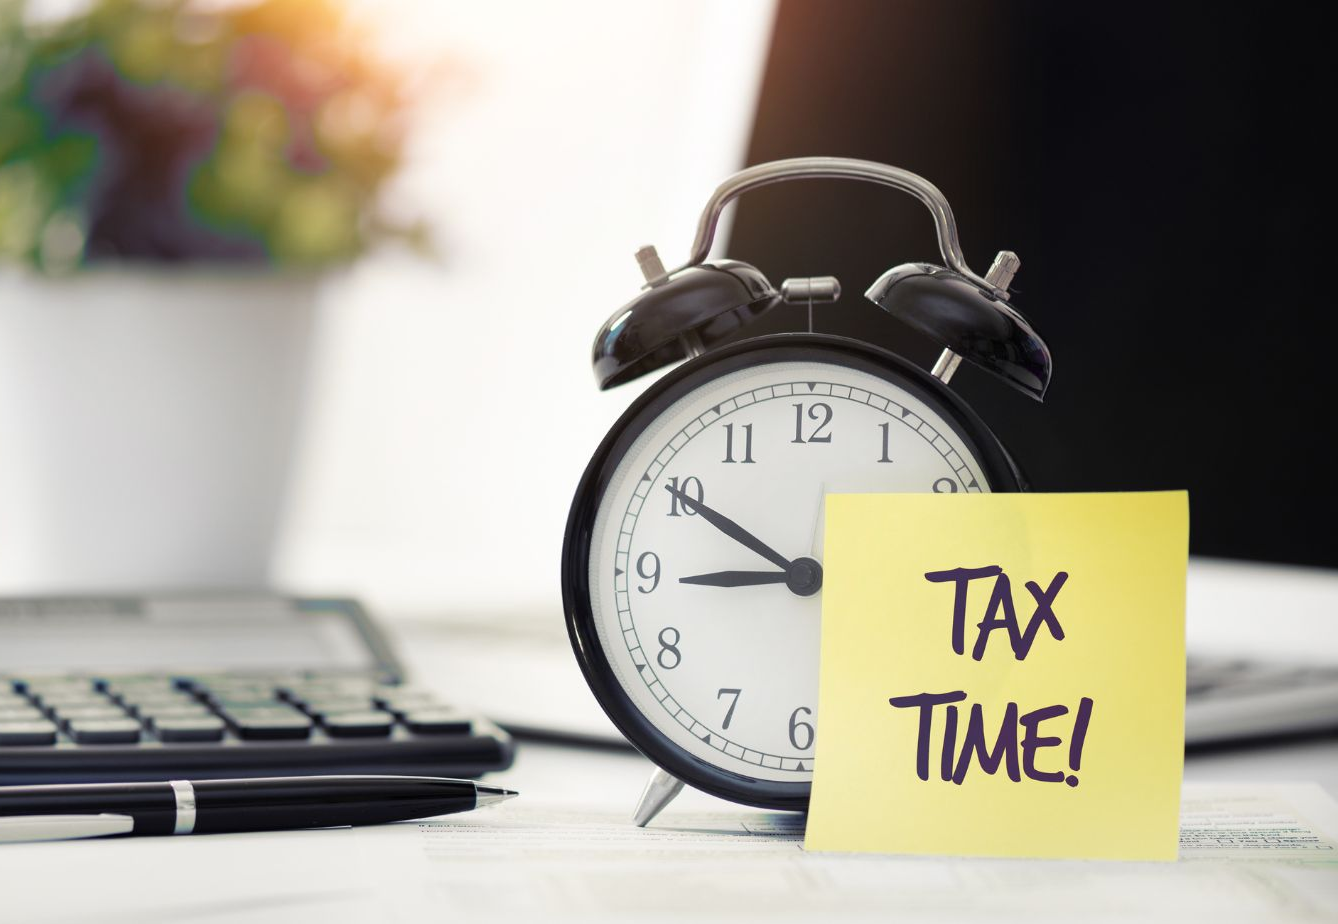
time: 8:50
